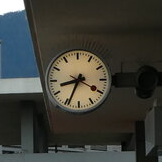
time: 8:34
